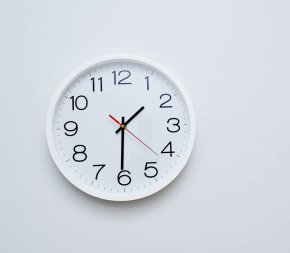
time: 1:30
